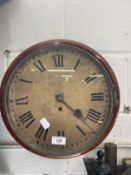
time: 4:22
